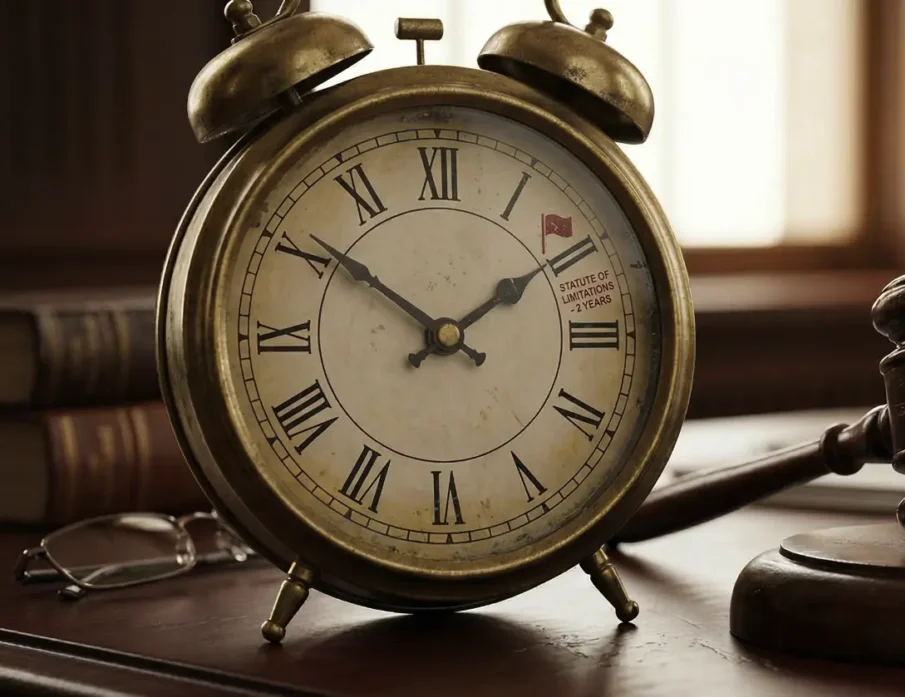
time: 1:50
